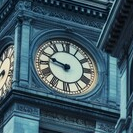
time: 9:48
